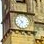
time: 10:36
